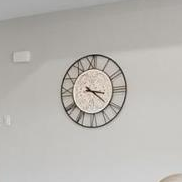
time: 3:21
